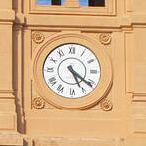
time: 5:21
